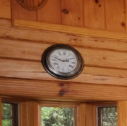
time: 2:48
